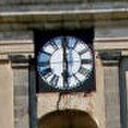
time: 5:59
